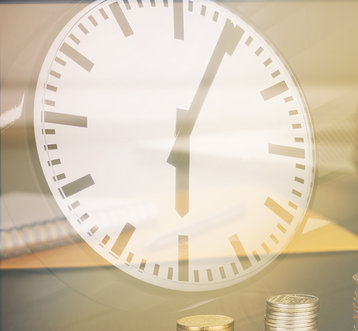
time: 6:04
